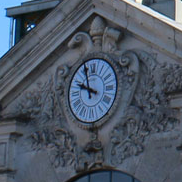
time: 9:57
